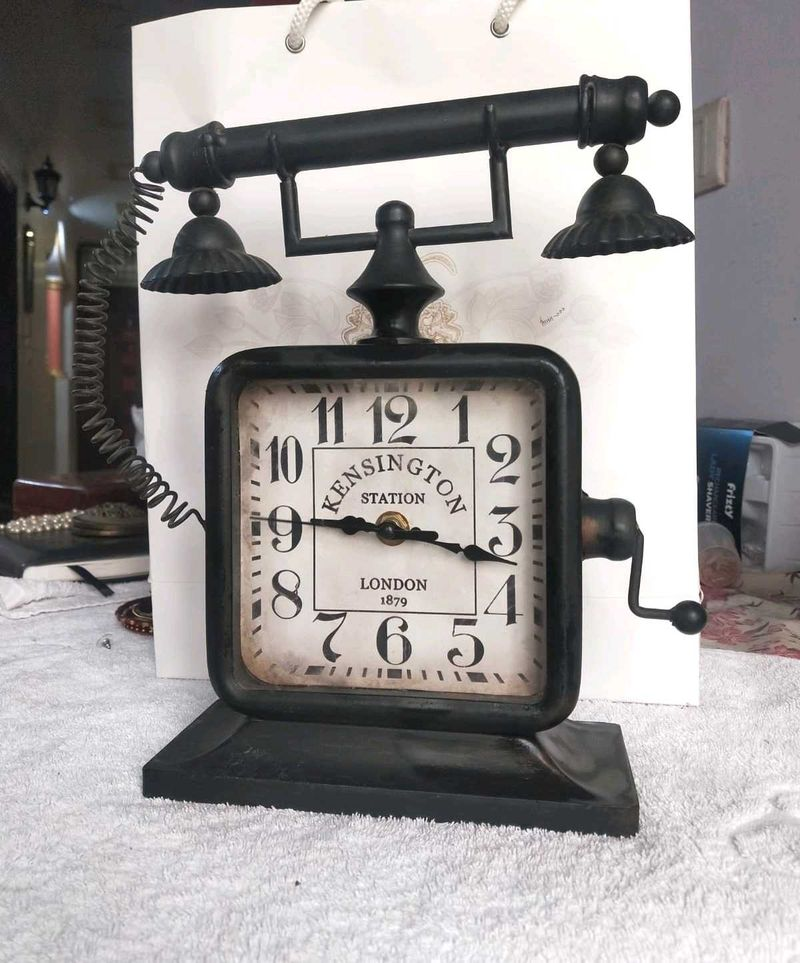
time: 9:17
